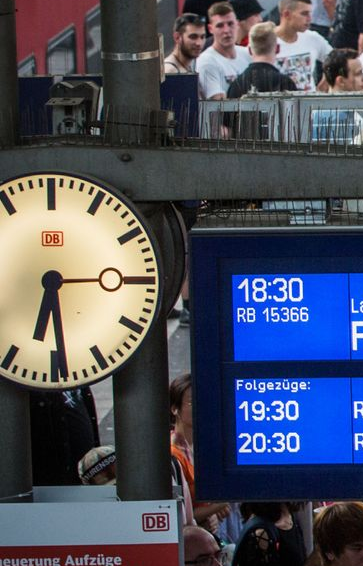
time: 6:29
